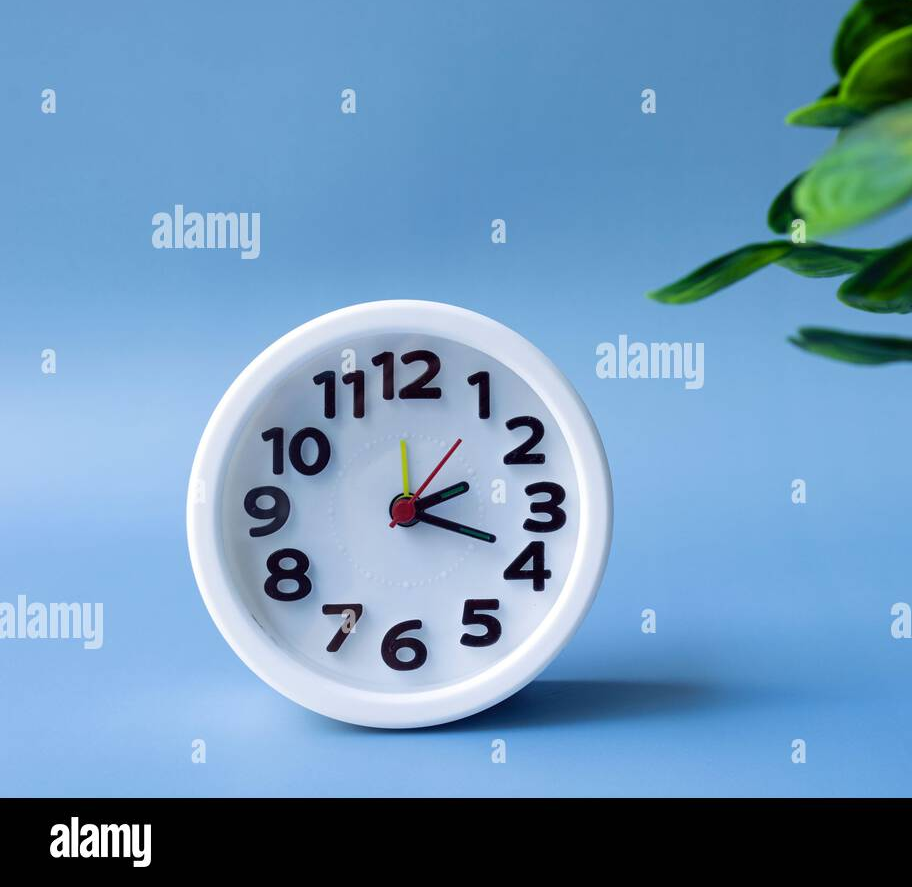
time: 2:18
